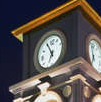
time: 6:55
